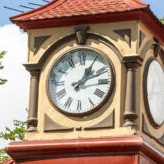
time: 1:11
